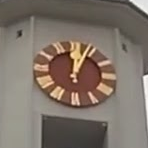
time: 12:04
